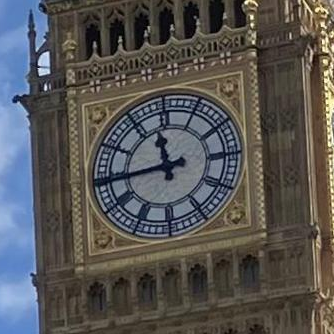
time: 11:44
